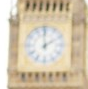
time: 1:59
